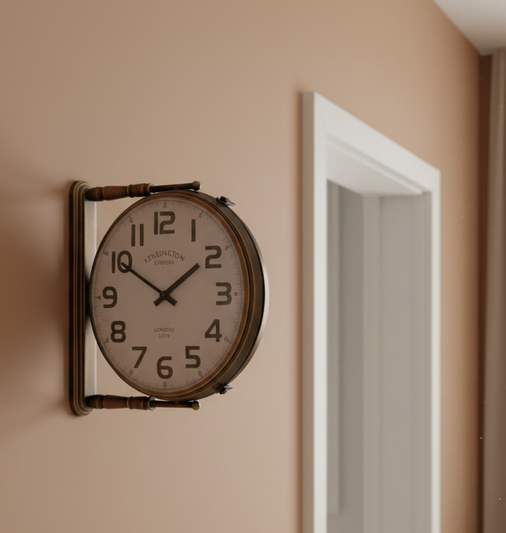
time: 1:50
